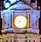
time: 7:46
